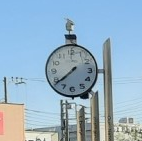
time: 7:38
